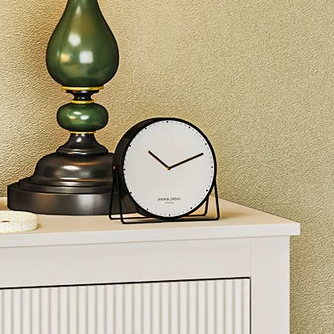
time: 10:11
